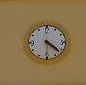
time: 4:21
